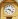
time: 9:22
